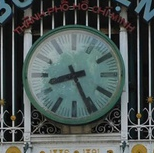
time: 8:26
